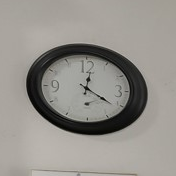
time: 12:21
